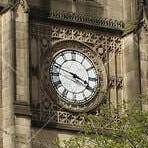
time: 3:48
